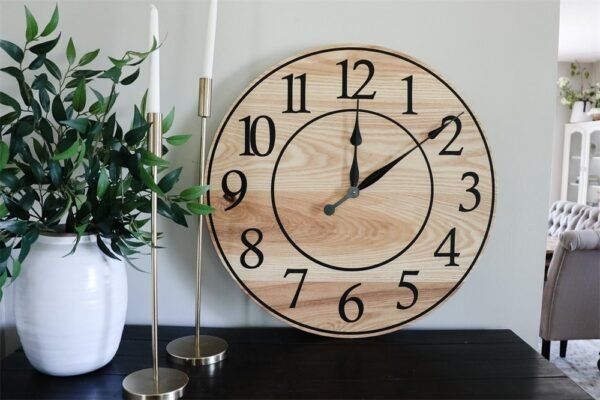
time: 12:09
